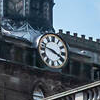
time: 3:46
